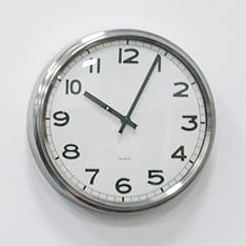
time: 10:04
